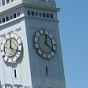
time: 12:20
